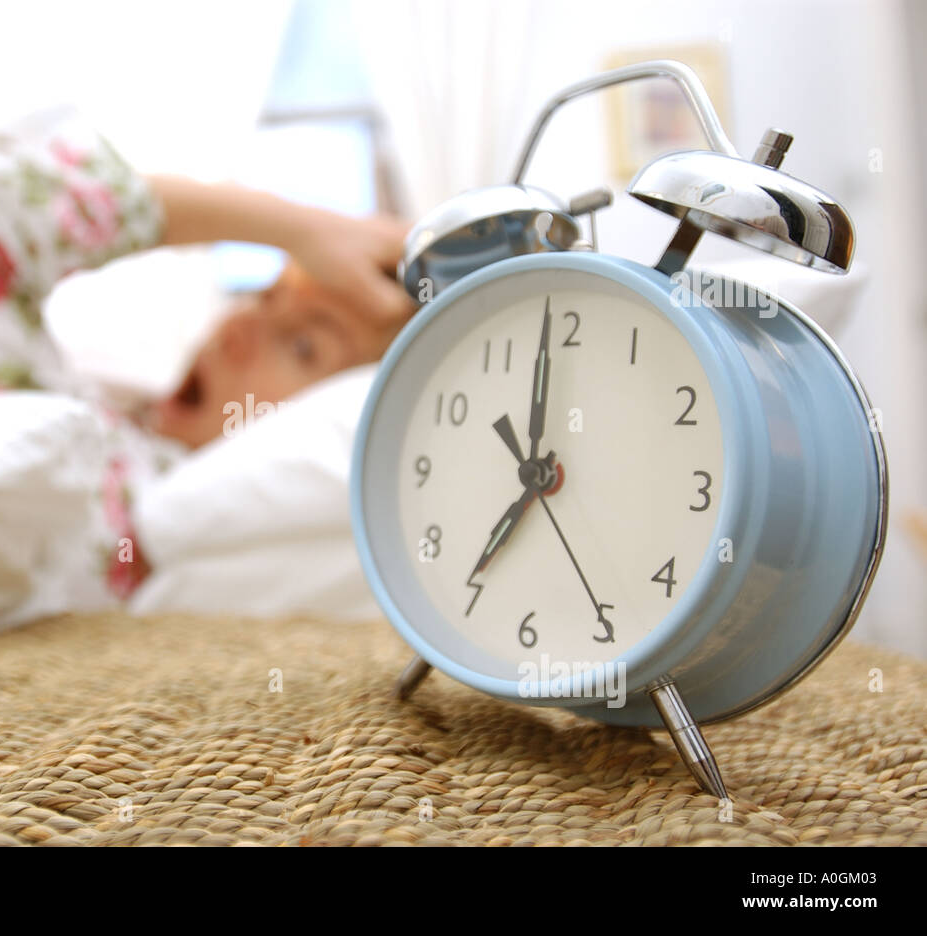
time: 6:59
